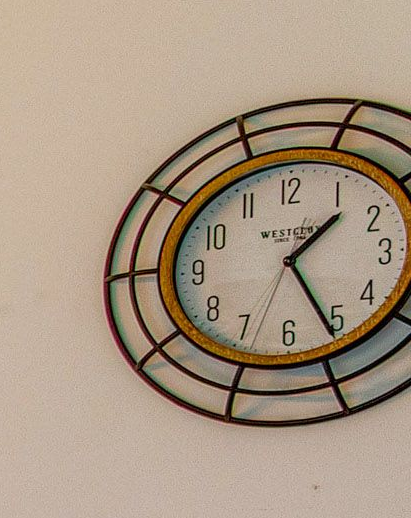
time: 1:25
